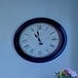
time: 10:58
